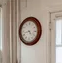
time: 8:22
